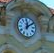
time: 12:09
